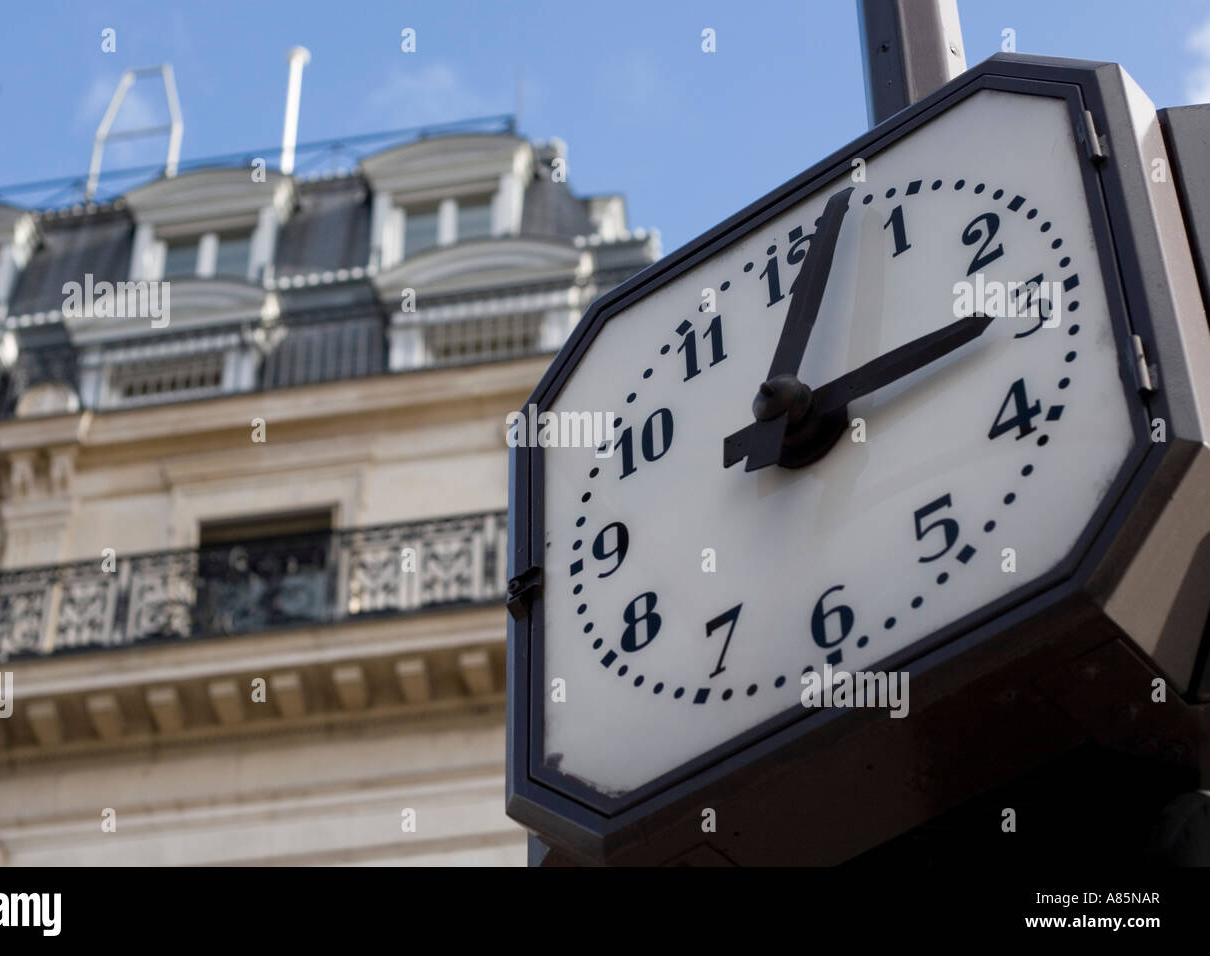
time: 3:02
